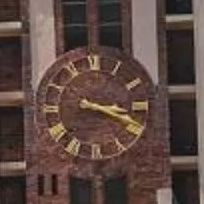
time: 3:18
